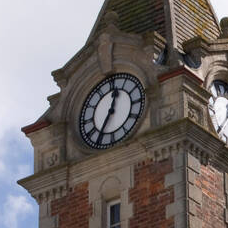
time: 12:34
